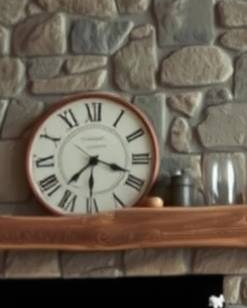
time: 7:18
